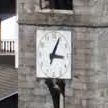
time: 3:04
